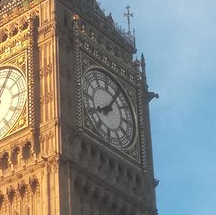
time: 8:06
